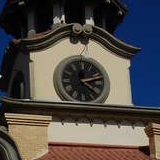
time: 4:12
